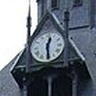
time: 12:28
